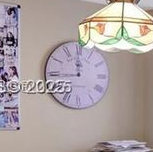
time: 11:44
